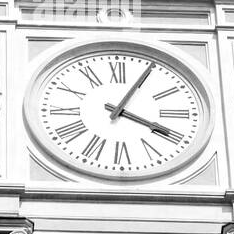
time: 4:04
